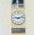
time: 9:12
